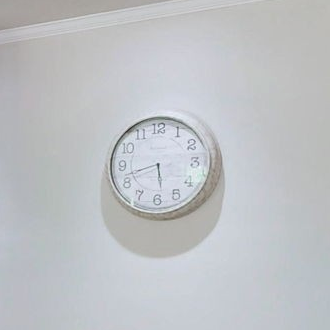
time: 5:42
